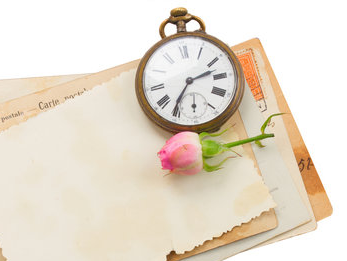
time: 2:36
